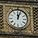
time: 12:03
